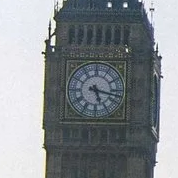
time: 5:17
